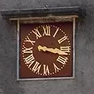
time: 3:17
